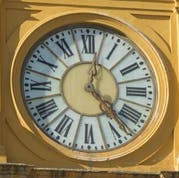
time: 12:22
